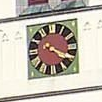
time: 4:19
